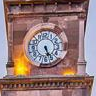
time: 5:26
